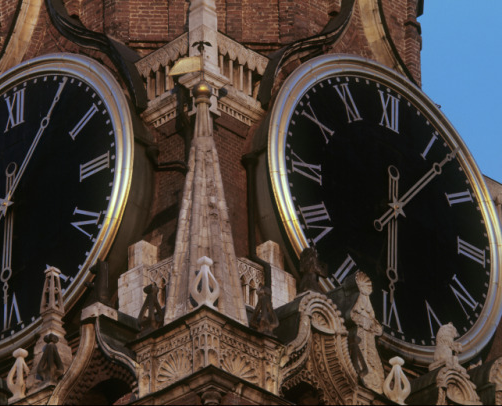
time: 6:06
